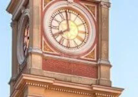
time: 7:58
